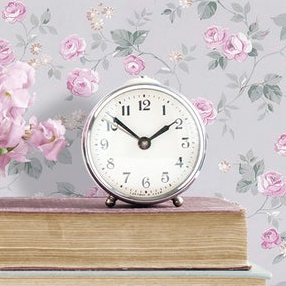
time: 1:51
